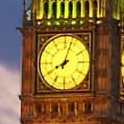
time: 8:03
